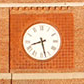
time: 8:27
